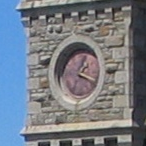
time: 1:18
